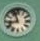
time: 8:56
